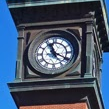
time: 11:19
